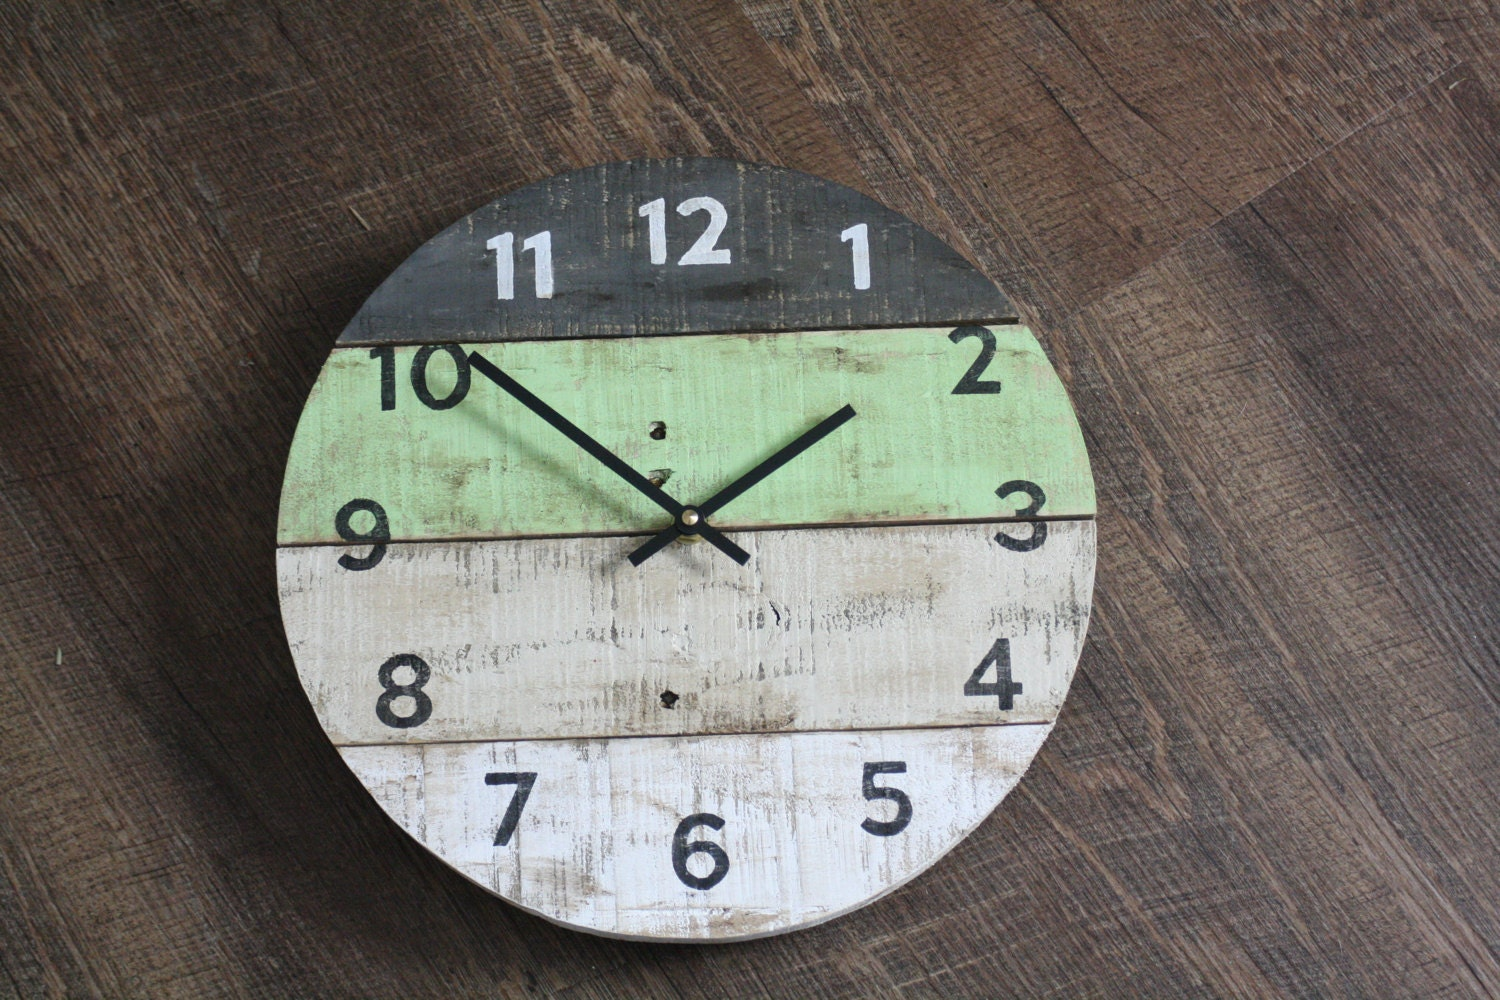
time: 1:51
